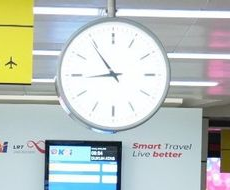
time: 8:54
